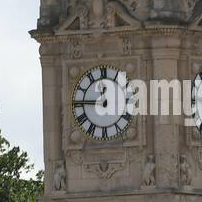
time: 11:45
